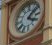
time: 4:07
